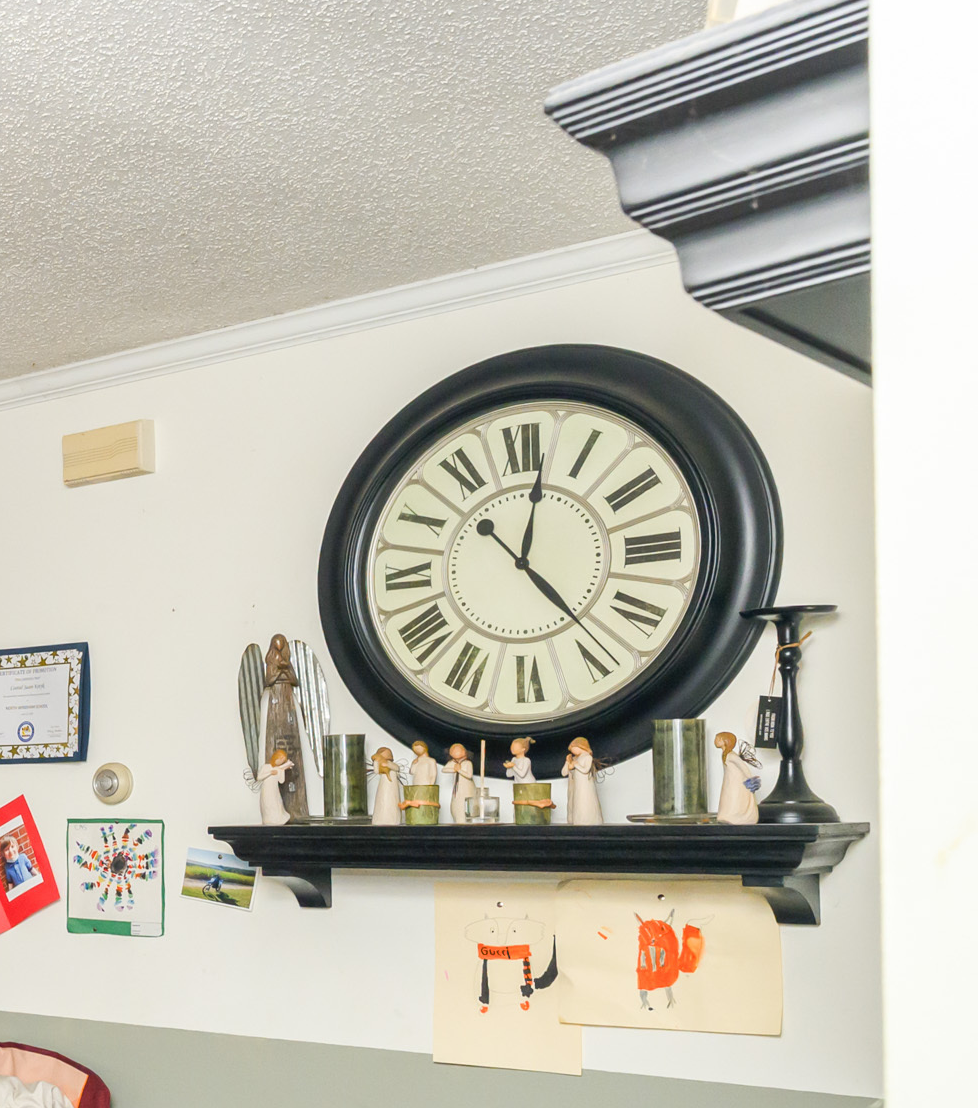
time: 12:23
